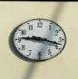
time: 9:18
